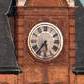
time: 5:36
